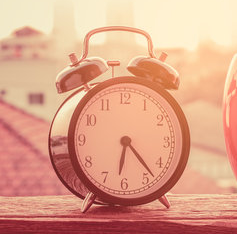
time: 6:23
